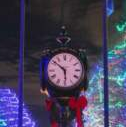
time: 5:51
